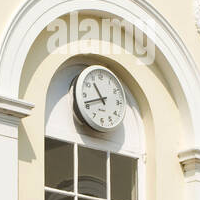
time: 10:41
